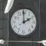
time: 1:59
